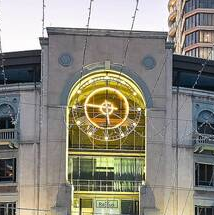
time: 5:46
